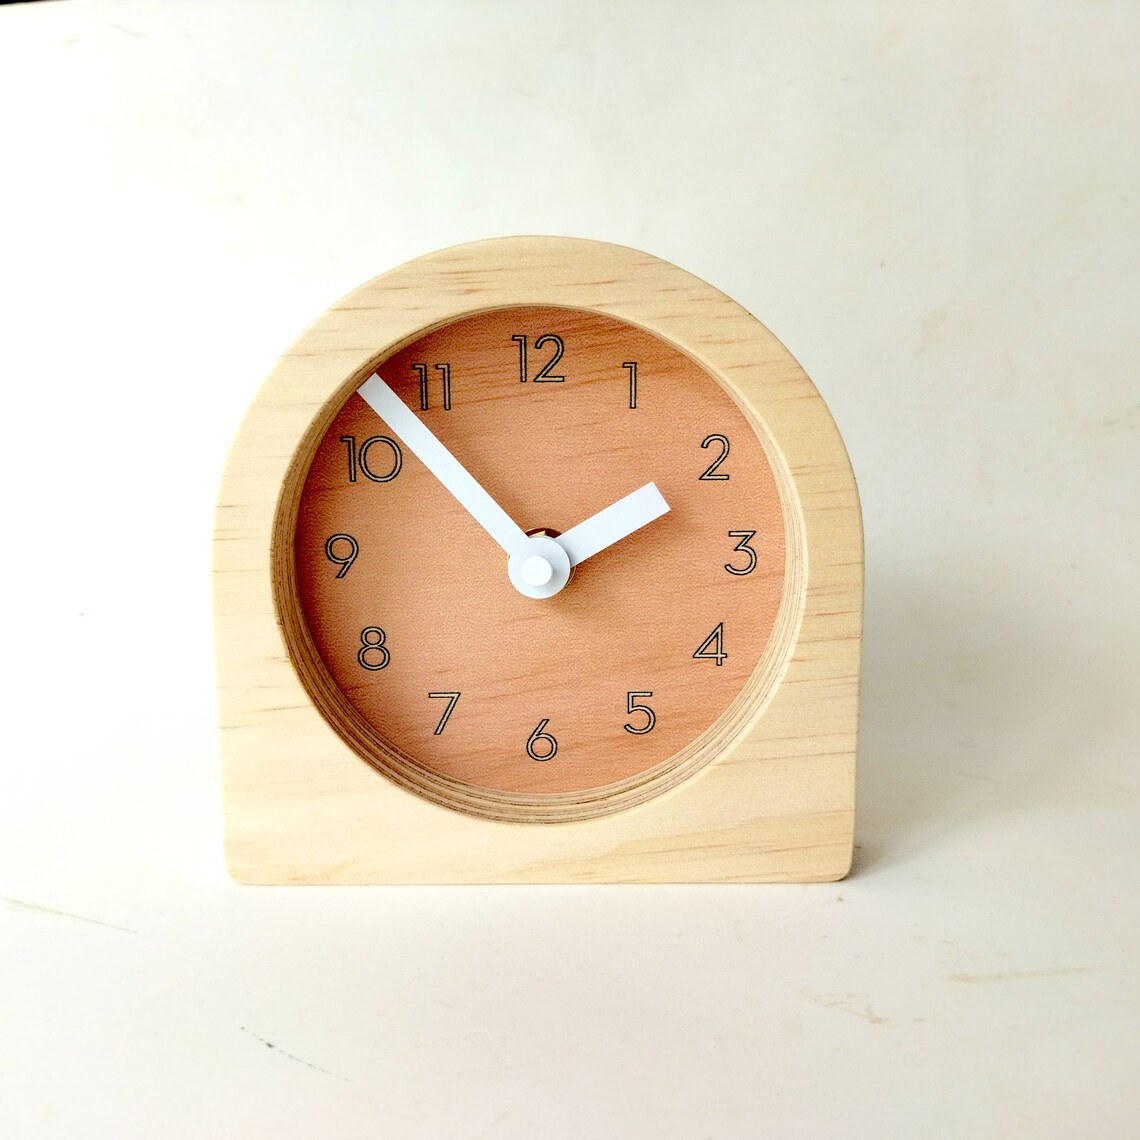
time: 1:52
